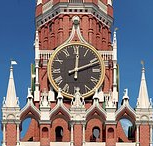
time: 12:11
